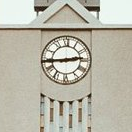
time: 2:44
